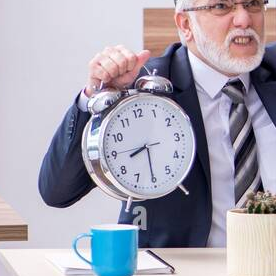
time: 8:30
